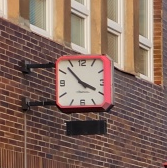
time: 3:52
